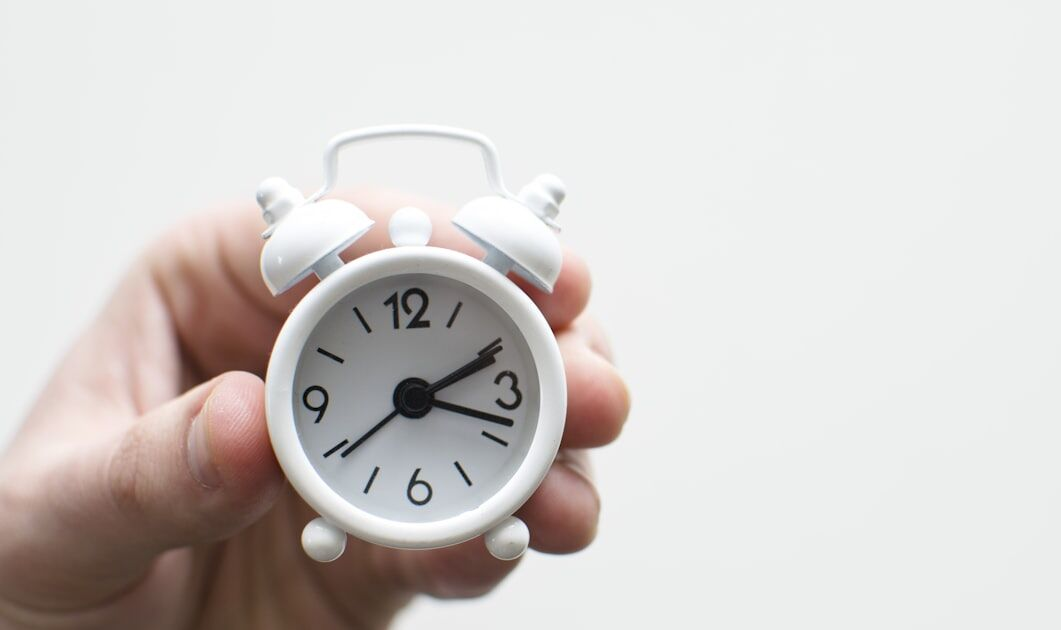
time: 2:18
